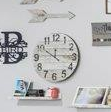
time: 10:14
